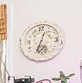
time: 12:33
